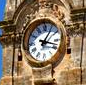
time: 1:18
